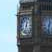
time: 12:32
